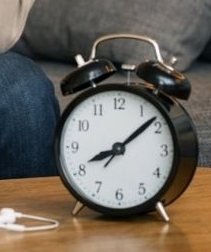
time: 8:08
